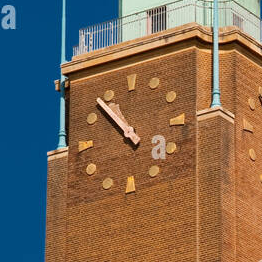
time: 10:53
